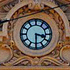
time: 3:30
